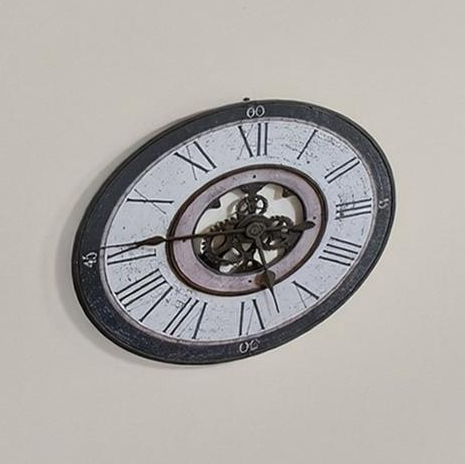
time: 11:45
